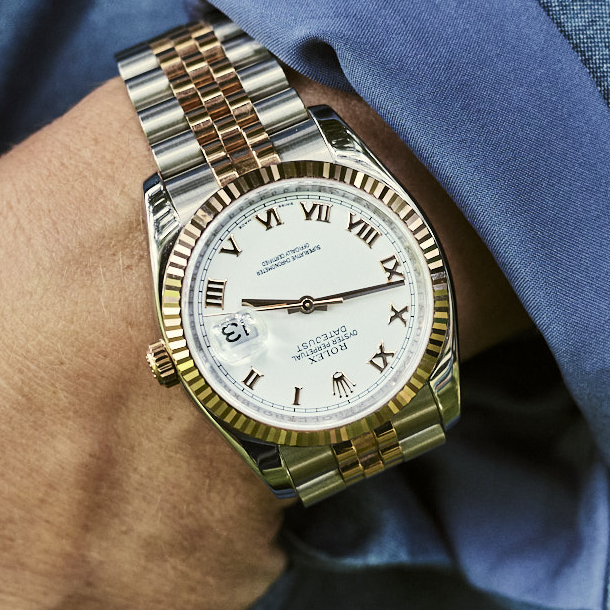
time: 9:12
